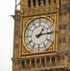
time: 1:13
